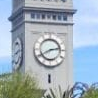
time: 2:40
